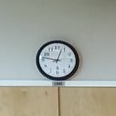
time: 12:46
